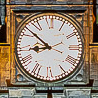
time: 8:51
